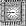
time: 8:45
